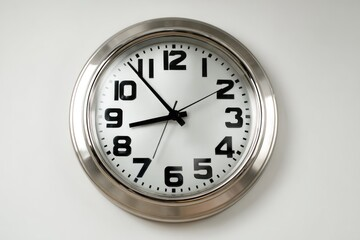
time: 8:53
